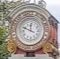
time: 11:48
